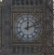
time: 12:11
